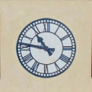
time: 10:46
